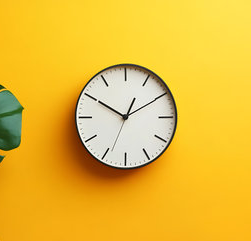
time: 12:49
